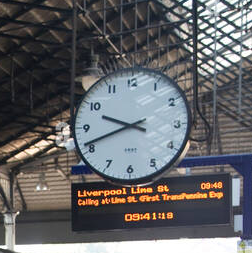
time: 9:41
